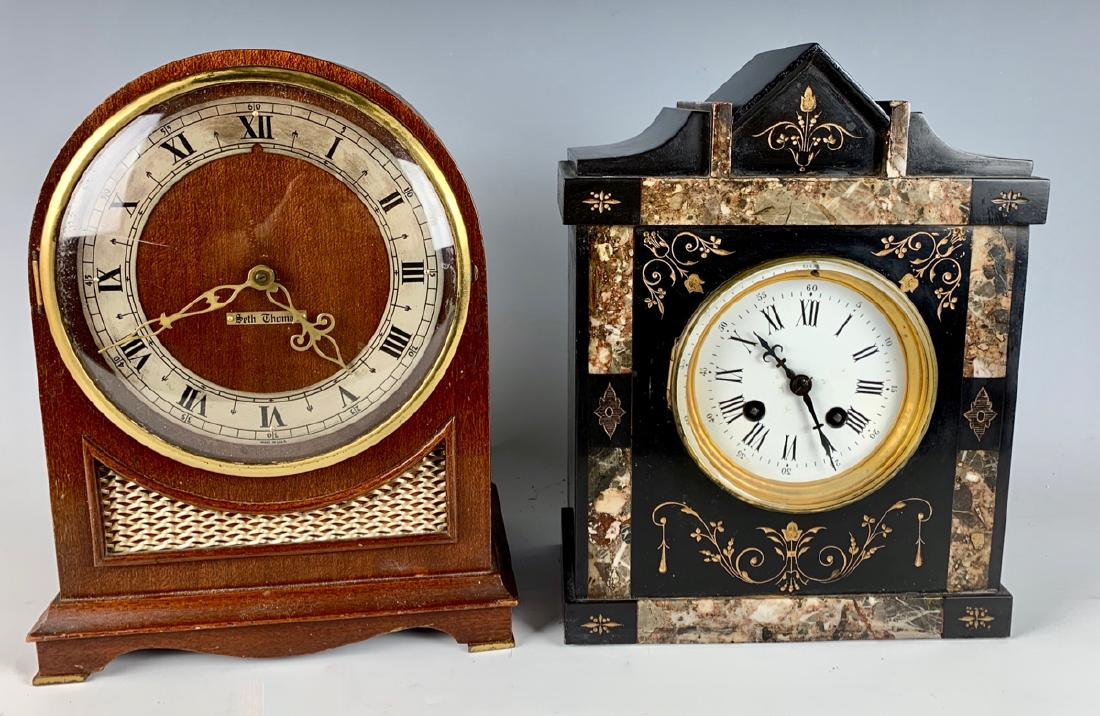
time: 4:52
